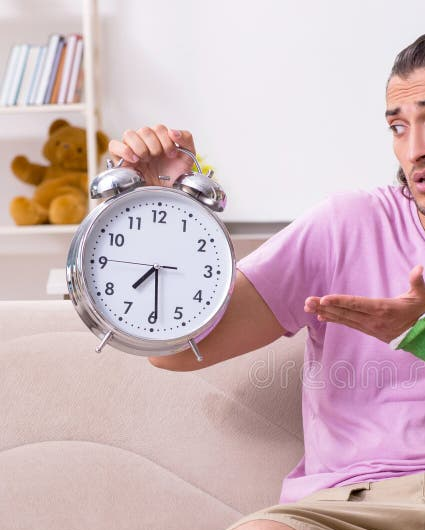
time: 7:29
